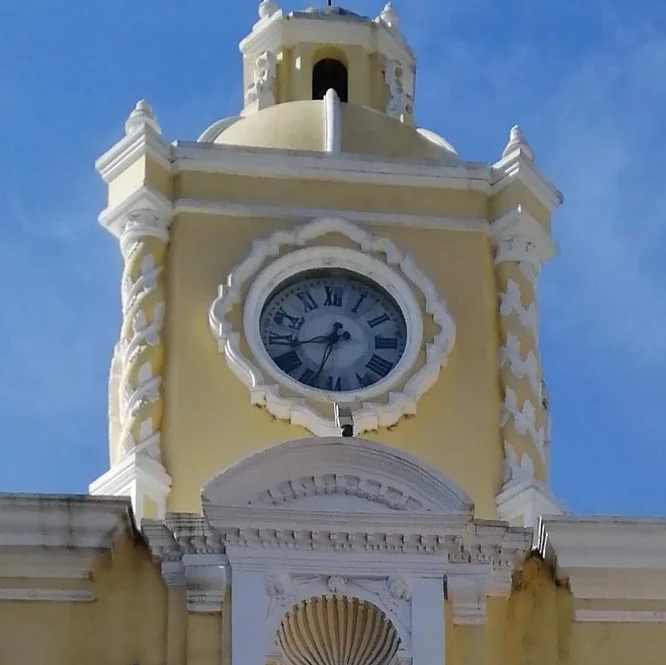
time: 8:33
